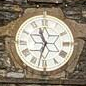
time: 11:32
